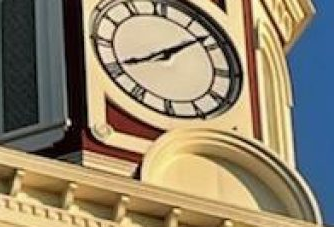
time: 8:08
